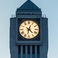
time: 4:32
